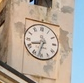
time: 8:32
